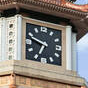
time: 6:48
